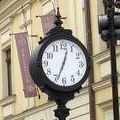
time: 12:33
